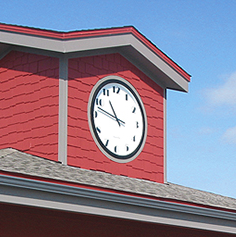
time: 10:47
